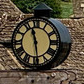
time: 11:28
